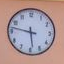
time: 5:47
